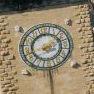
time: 8:11
